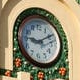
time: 9:10
